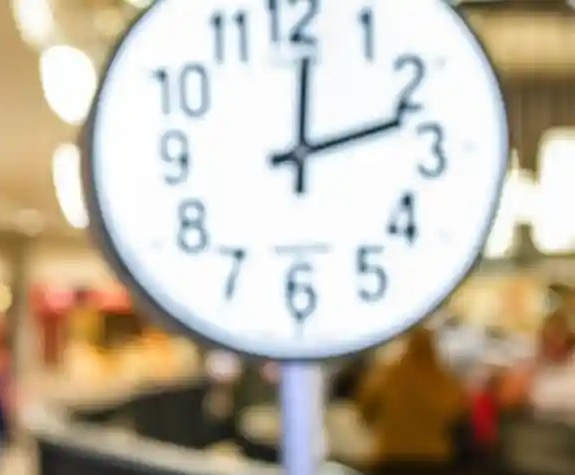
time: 12:12
